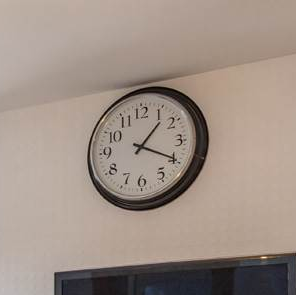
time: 1:19
